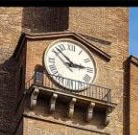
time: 2:52
